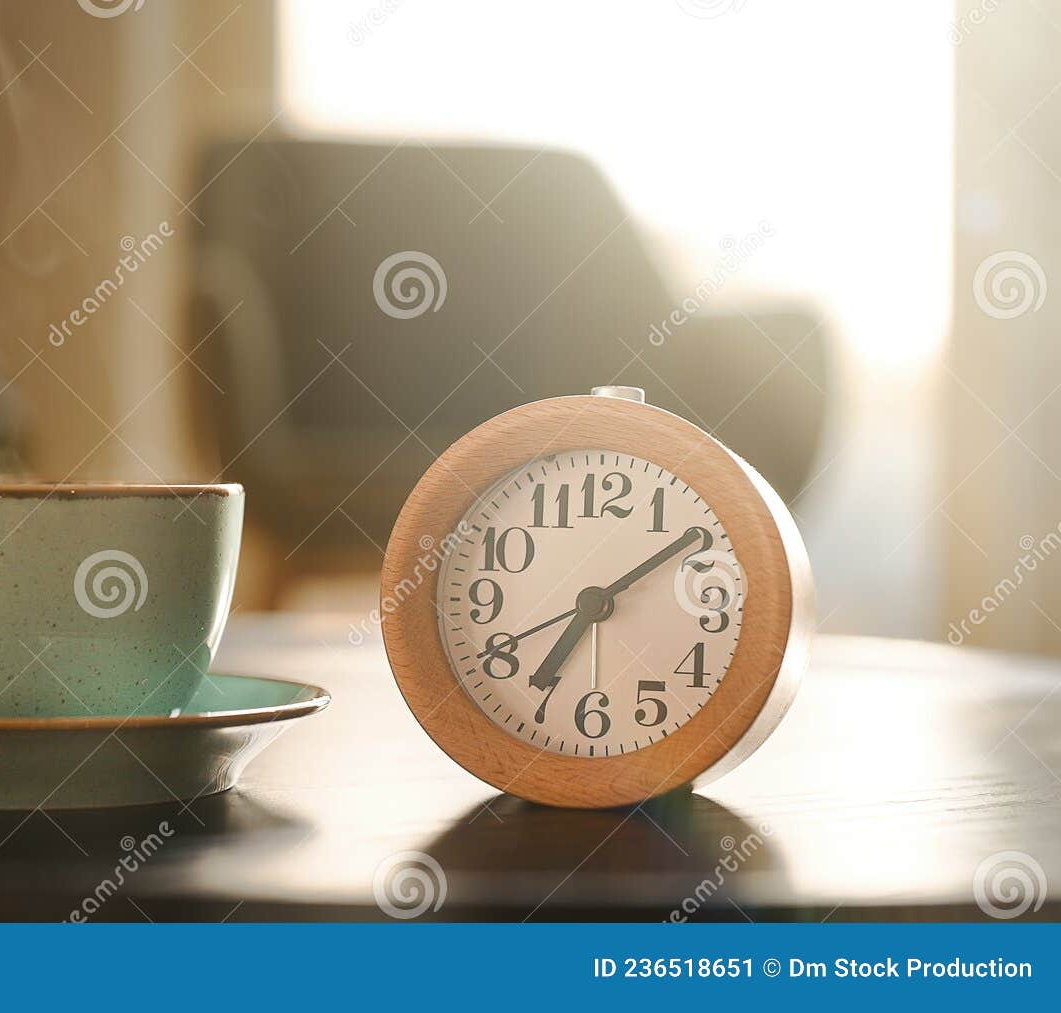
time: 7:08
